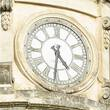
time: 4:31
